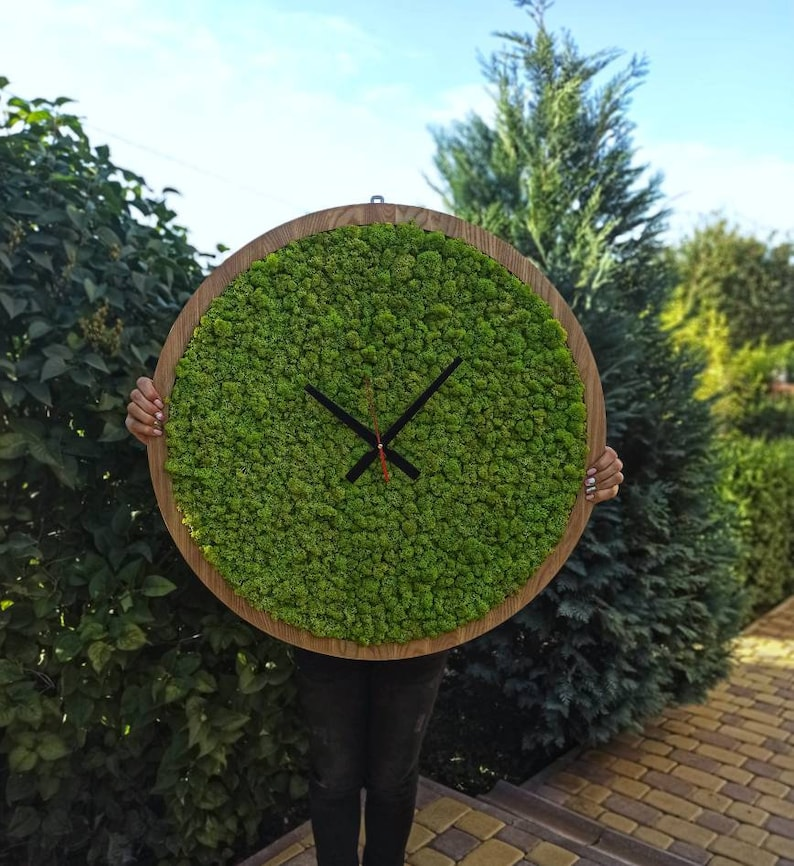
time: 10:07
